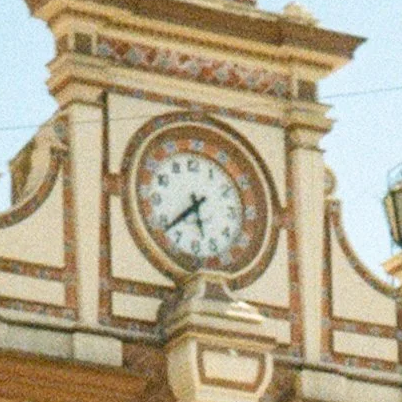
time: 5:38
